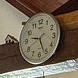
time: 9:26
